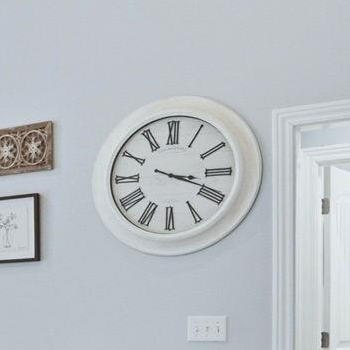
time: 3:18
